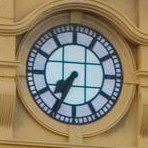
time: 7:34
